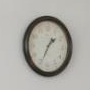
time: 1:34
